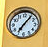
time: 7:06
